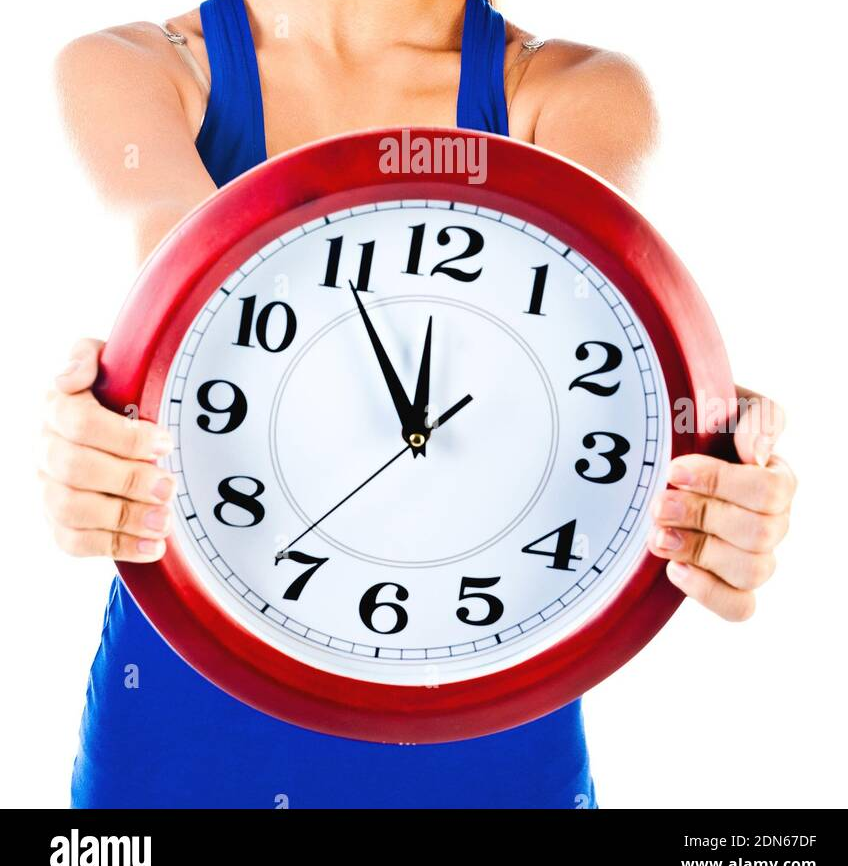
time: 11:54
